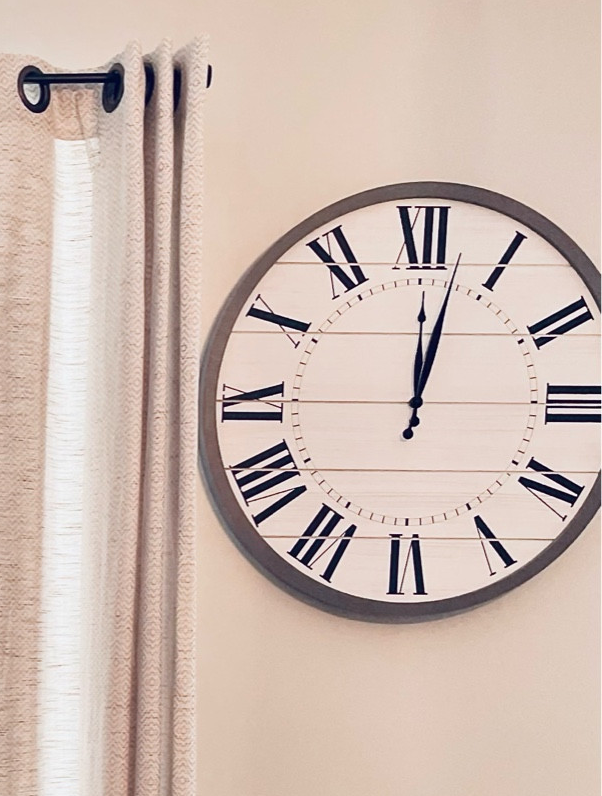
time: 12:02
